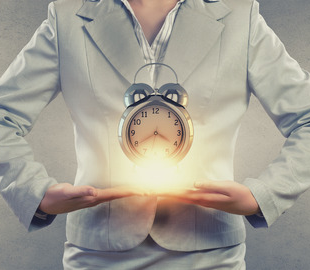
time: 3:40
